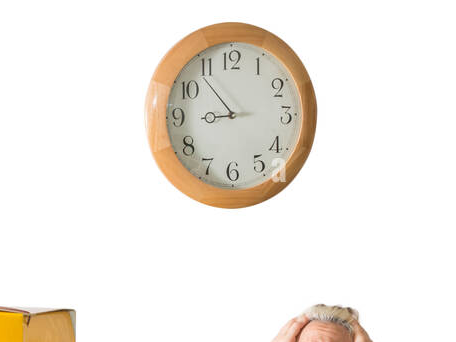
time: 8:53
